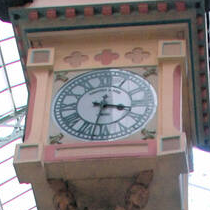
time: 3:32
